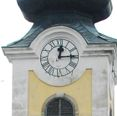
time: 12:14
